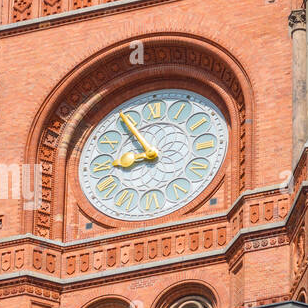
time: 8:54
